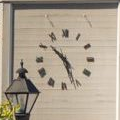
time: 10:26
